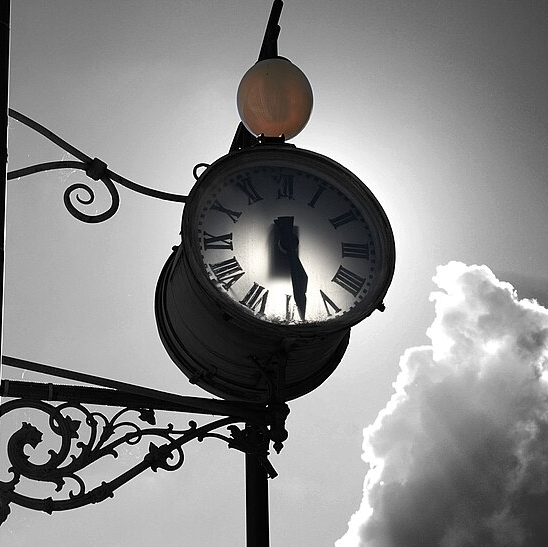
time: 6:28
